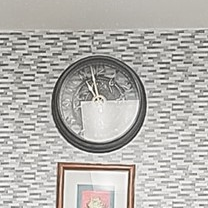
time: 10:58
